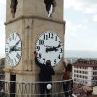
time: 3:12
